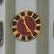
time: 11:23
